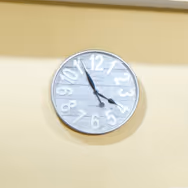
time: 3:55
